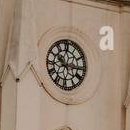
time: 10:15
